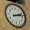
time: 2:12
